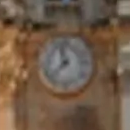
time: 11:37
